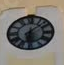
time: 6:07
